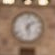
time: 1:28
